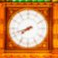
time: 7:41
